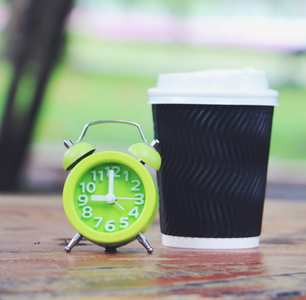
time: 9:00
